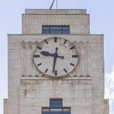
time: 9:31
